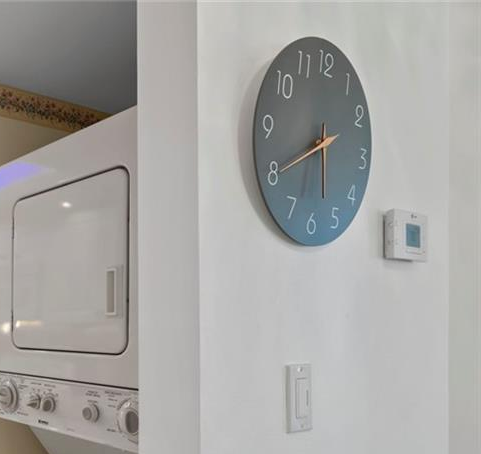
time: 5:40
